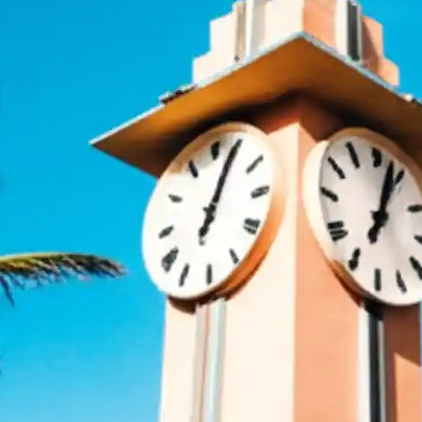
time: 7:04
